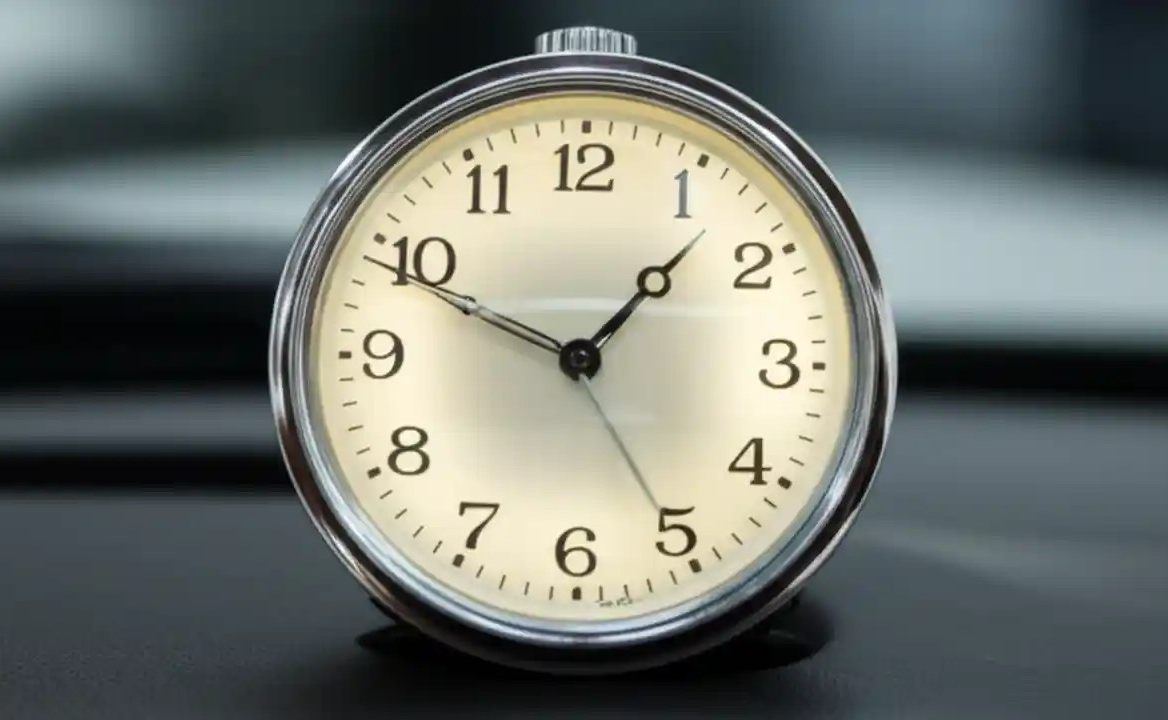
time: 1:49
